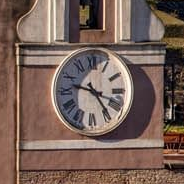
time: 9:23
